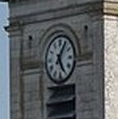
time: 5:05
